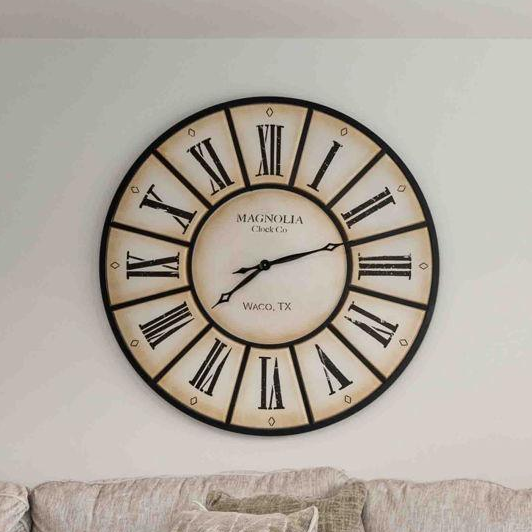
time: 8:12
